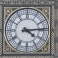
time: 4:14
